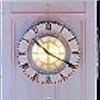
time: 10:19
